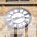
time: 8:12
